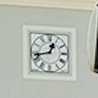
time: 12:42
